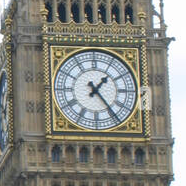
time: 1:23
